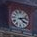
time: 4:12
